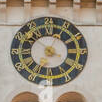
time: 3:51
